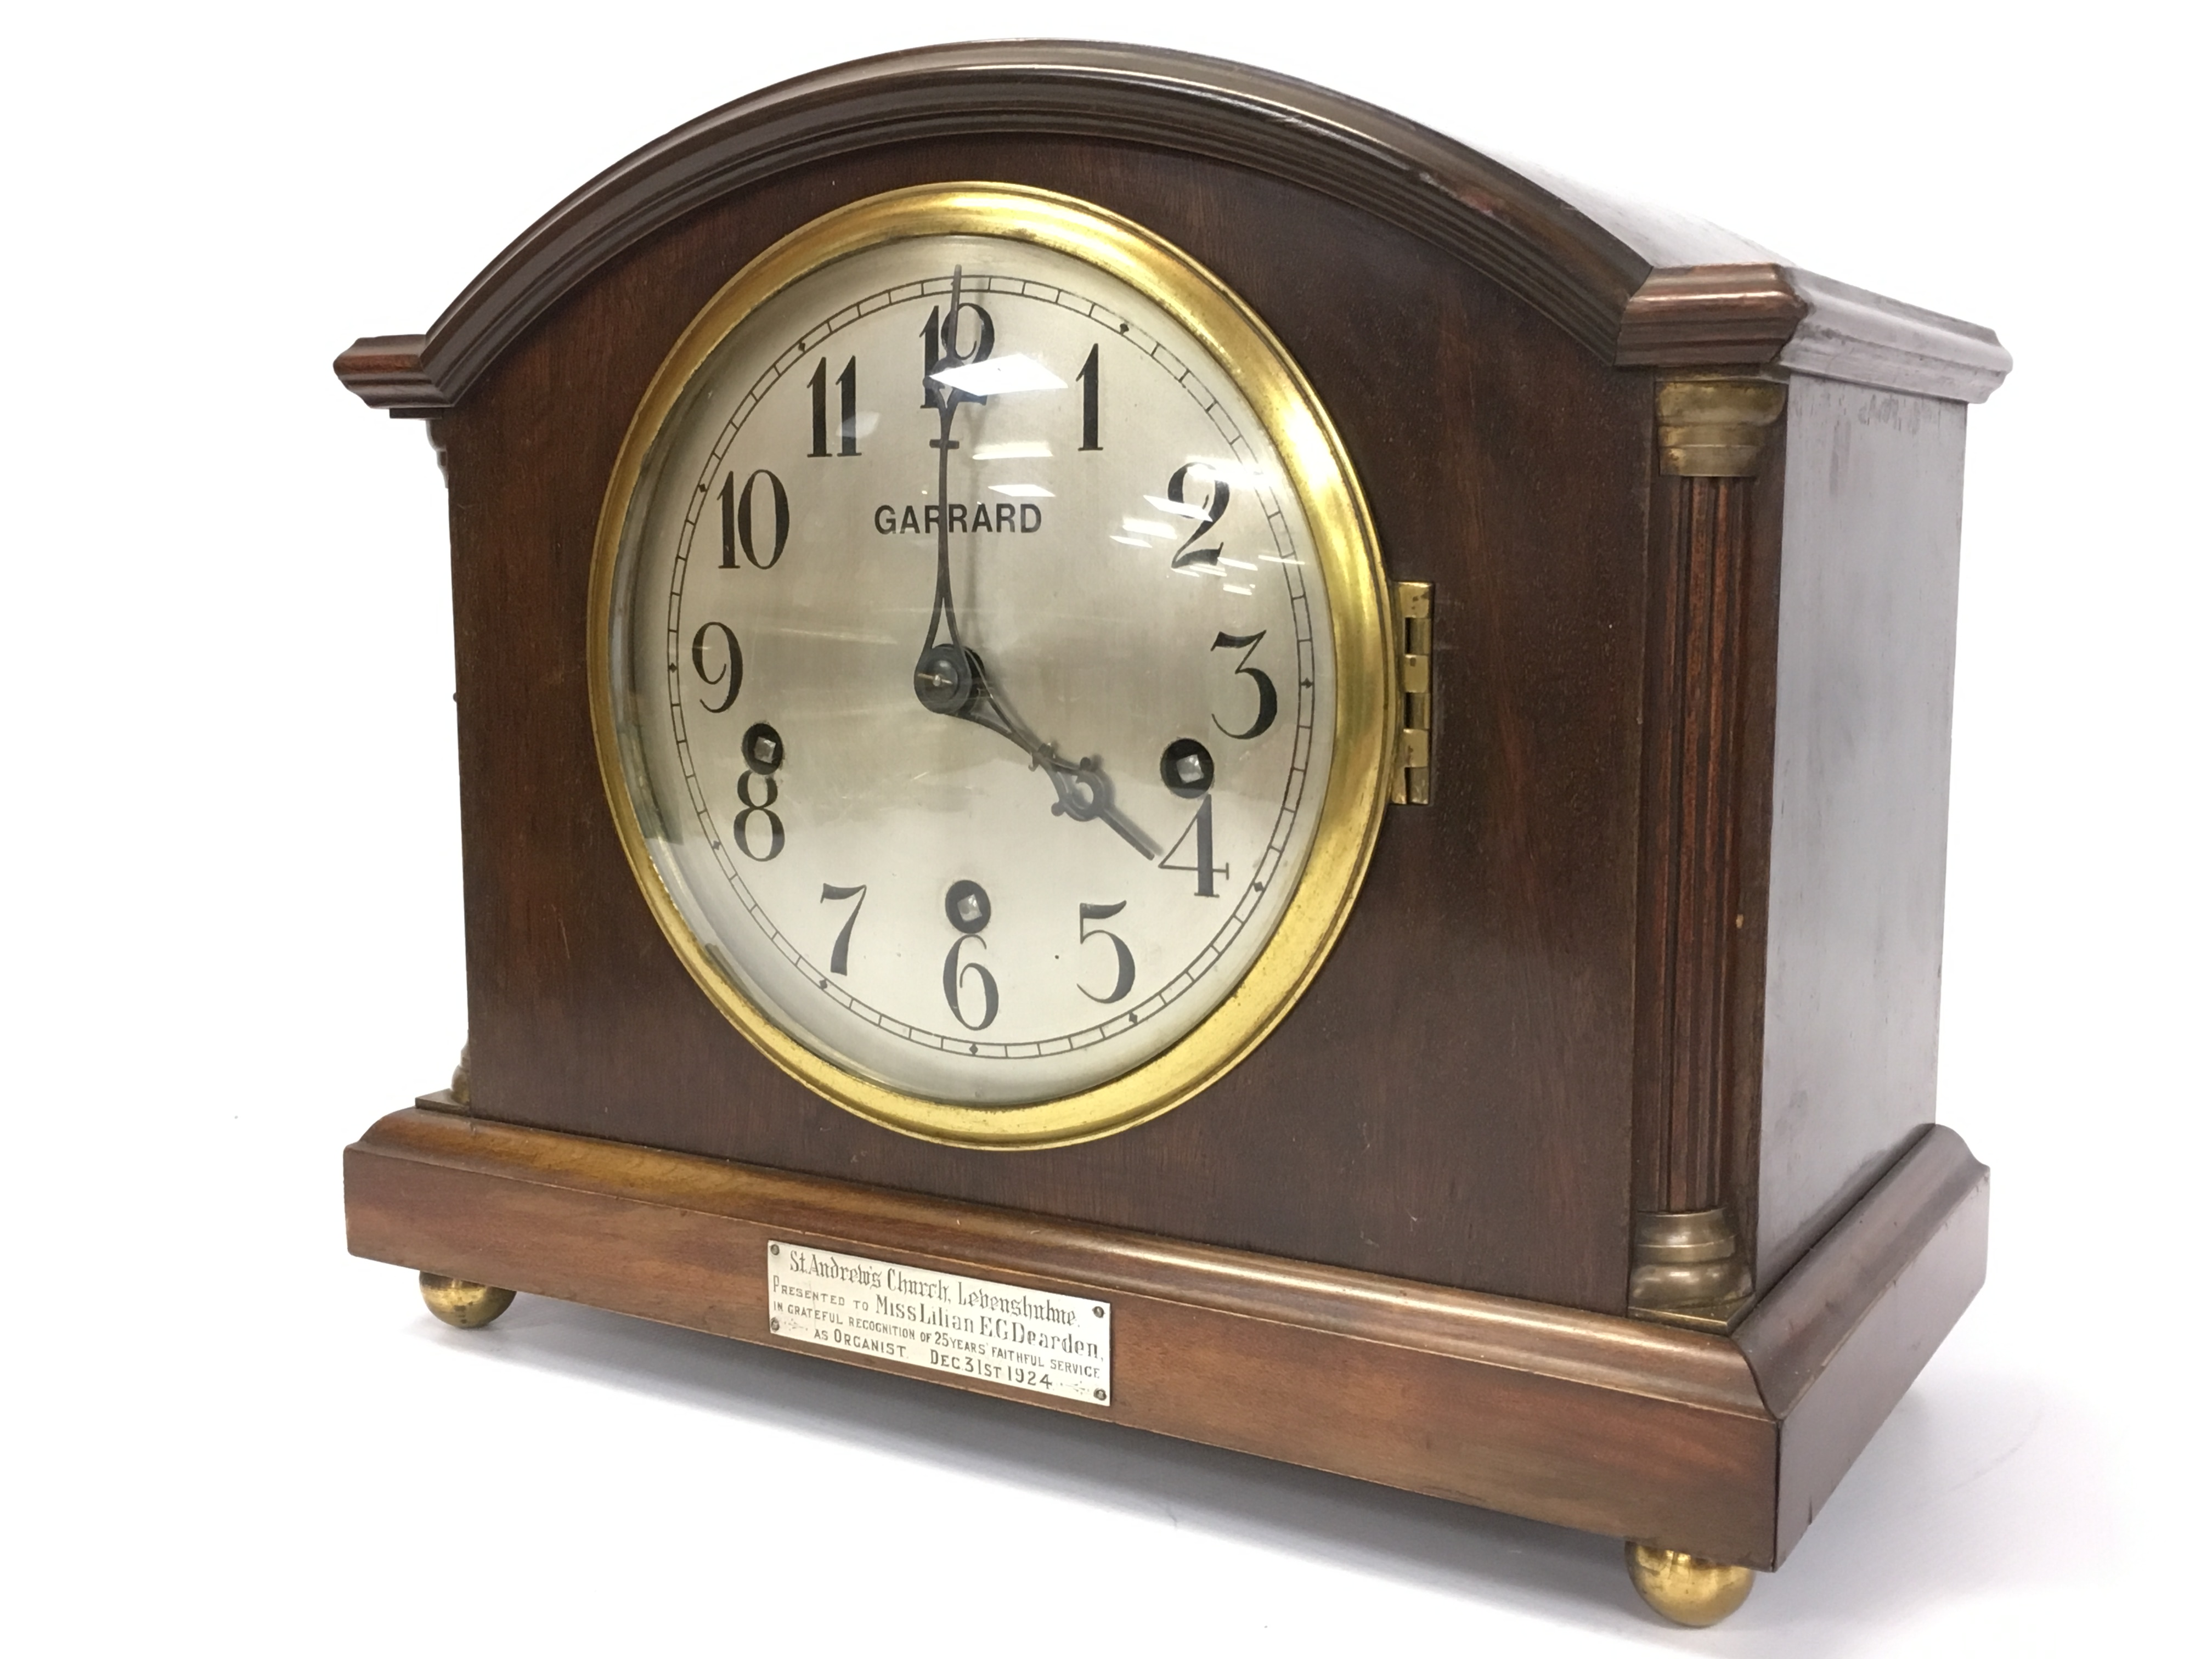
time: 4:00
